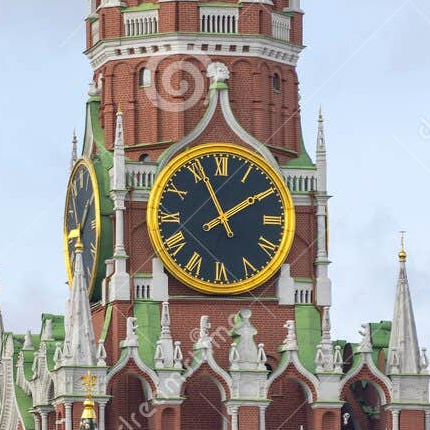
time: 1:56
